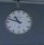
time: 10:48
